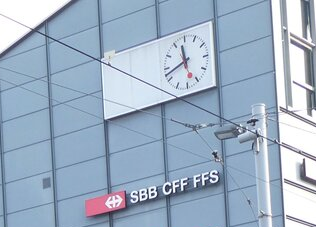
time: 11:41
